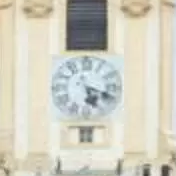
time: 5:18
